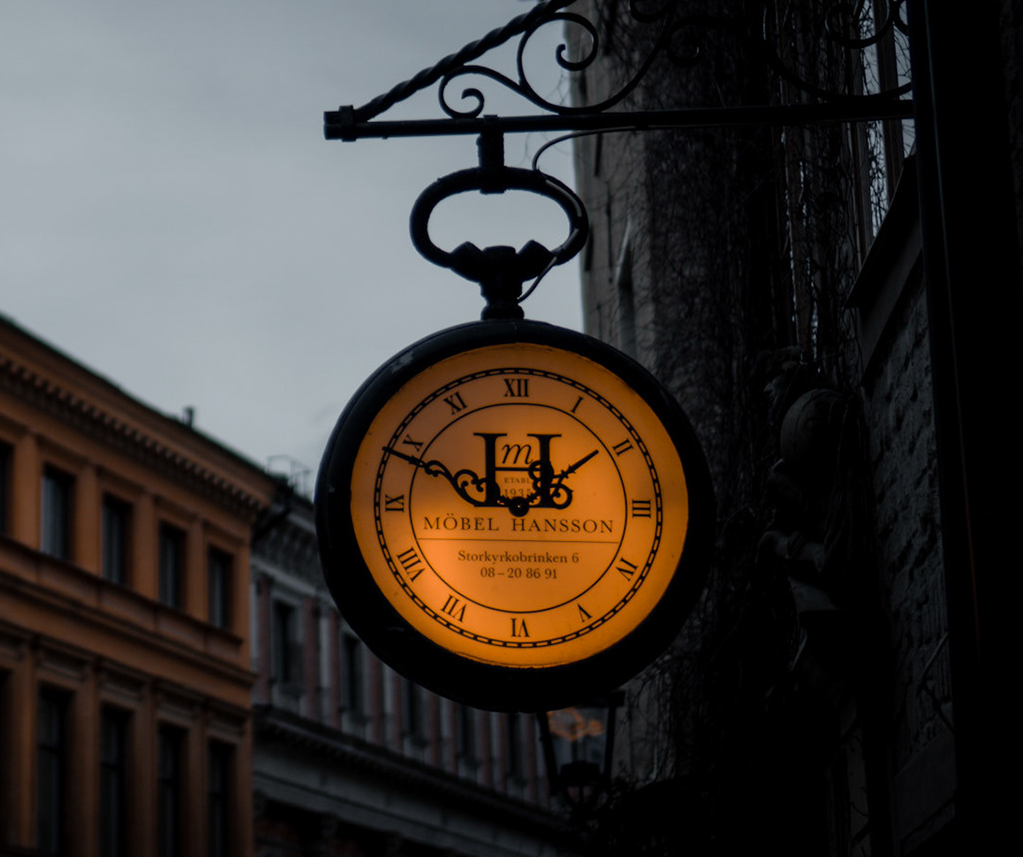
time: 1:48
